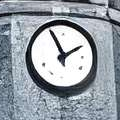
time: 1:56
